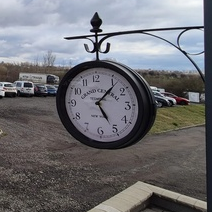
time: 5:06
